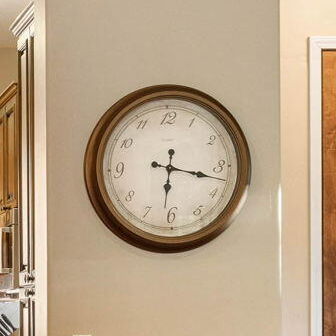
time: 6:17
